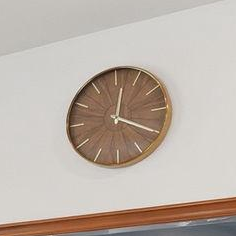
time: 12:19
